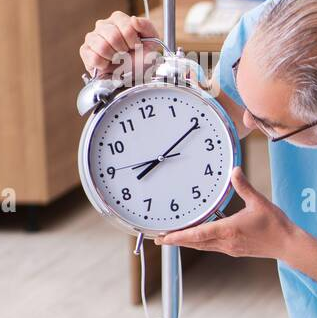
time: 8:10
